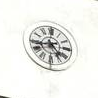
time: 4:42
